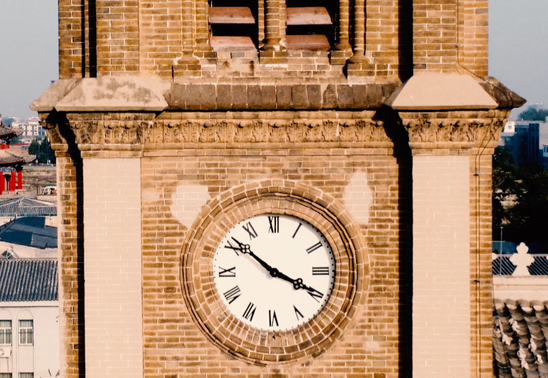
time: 3:51
